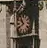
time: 10:39
